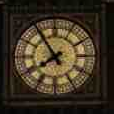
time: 7:53
